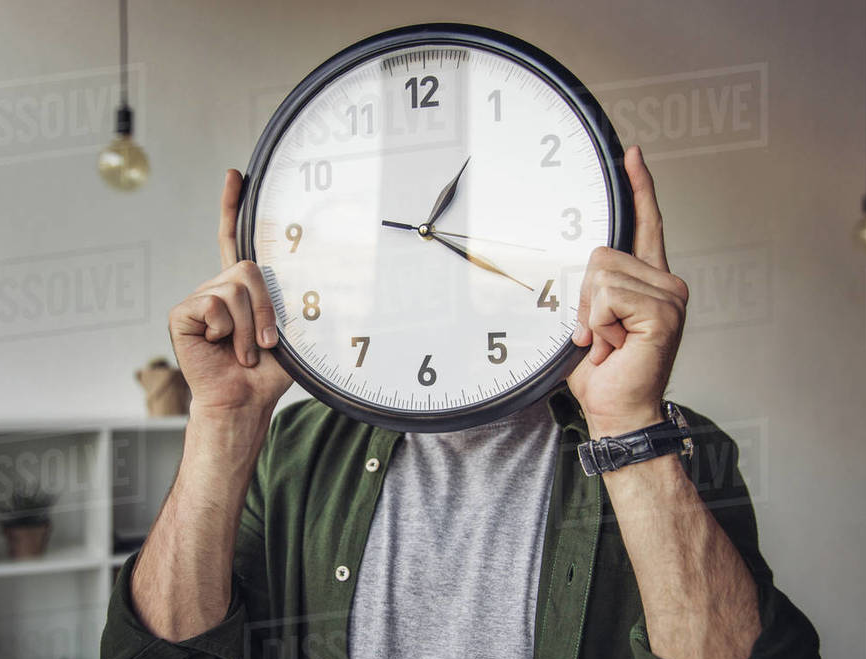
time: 1:20
